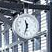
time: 11:32
